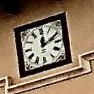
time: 12:10
